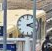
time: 2:18
